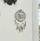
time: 11:13
